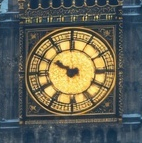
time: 9:49
